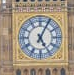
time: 5:04
